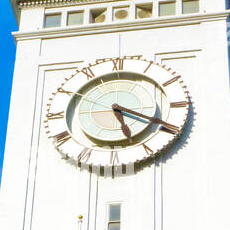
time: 5:19
